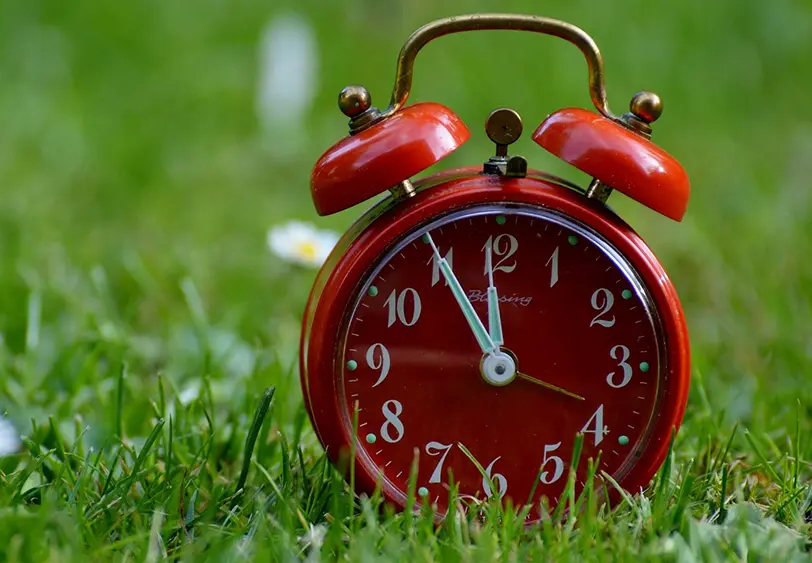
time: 11:55
